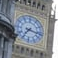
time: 7:16
